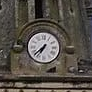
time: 6:37
